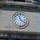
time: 11:21
